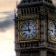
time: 11:45
